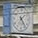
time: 7:24
